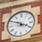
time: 3:49
